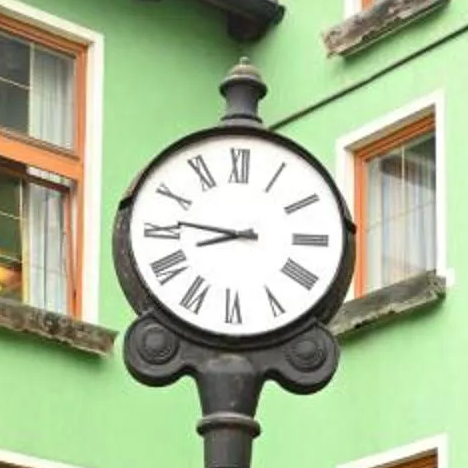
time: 8:46
